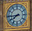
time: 7:44
